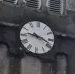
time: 9:18
